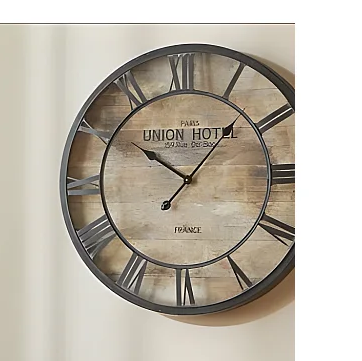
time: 10:07
